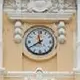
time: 11:40
